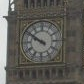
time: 9:50
